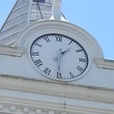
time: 1:30
